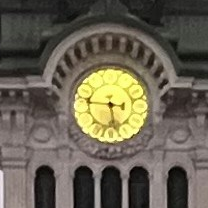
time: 5:45
